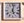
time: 5:02
